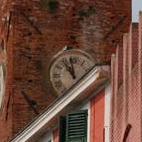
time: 10:58
